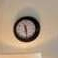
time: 11:28
